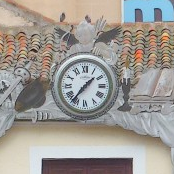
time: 1:36
